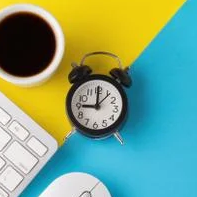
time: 9:00
